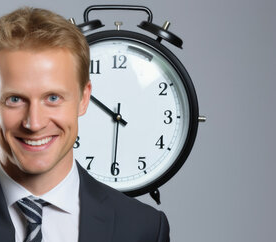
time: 10:30
